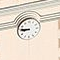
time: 8:46
